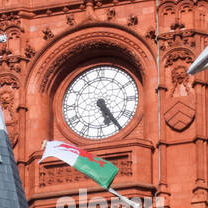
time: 5:24
